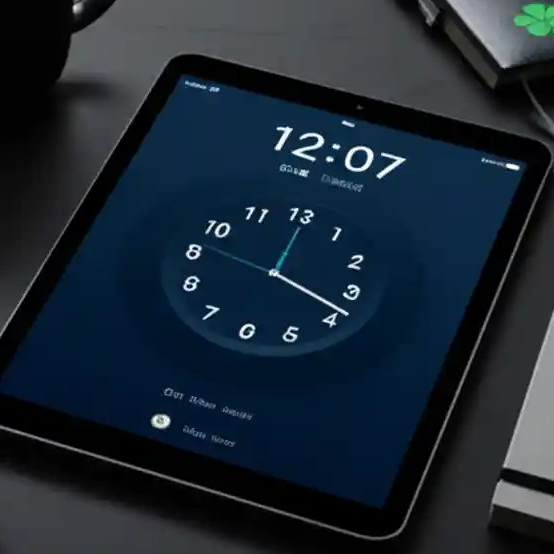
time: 12:18
